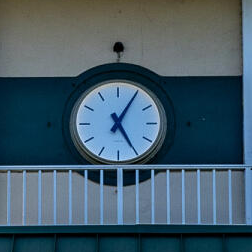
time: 5:05
